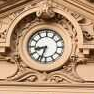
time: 8:32
